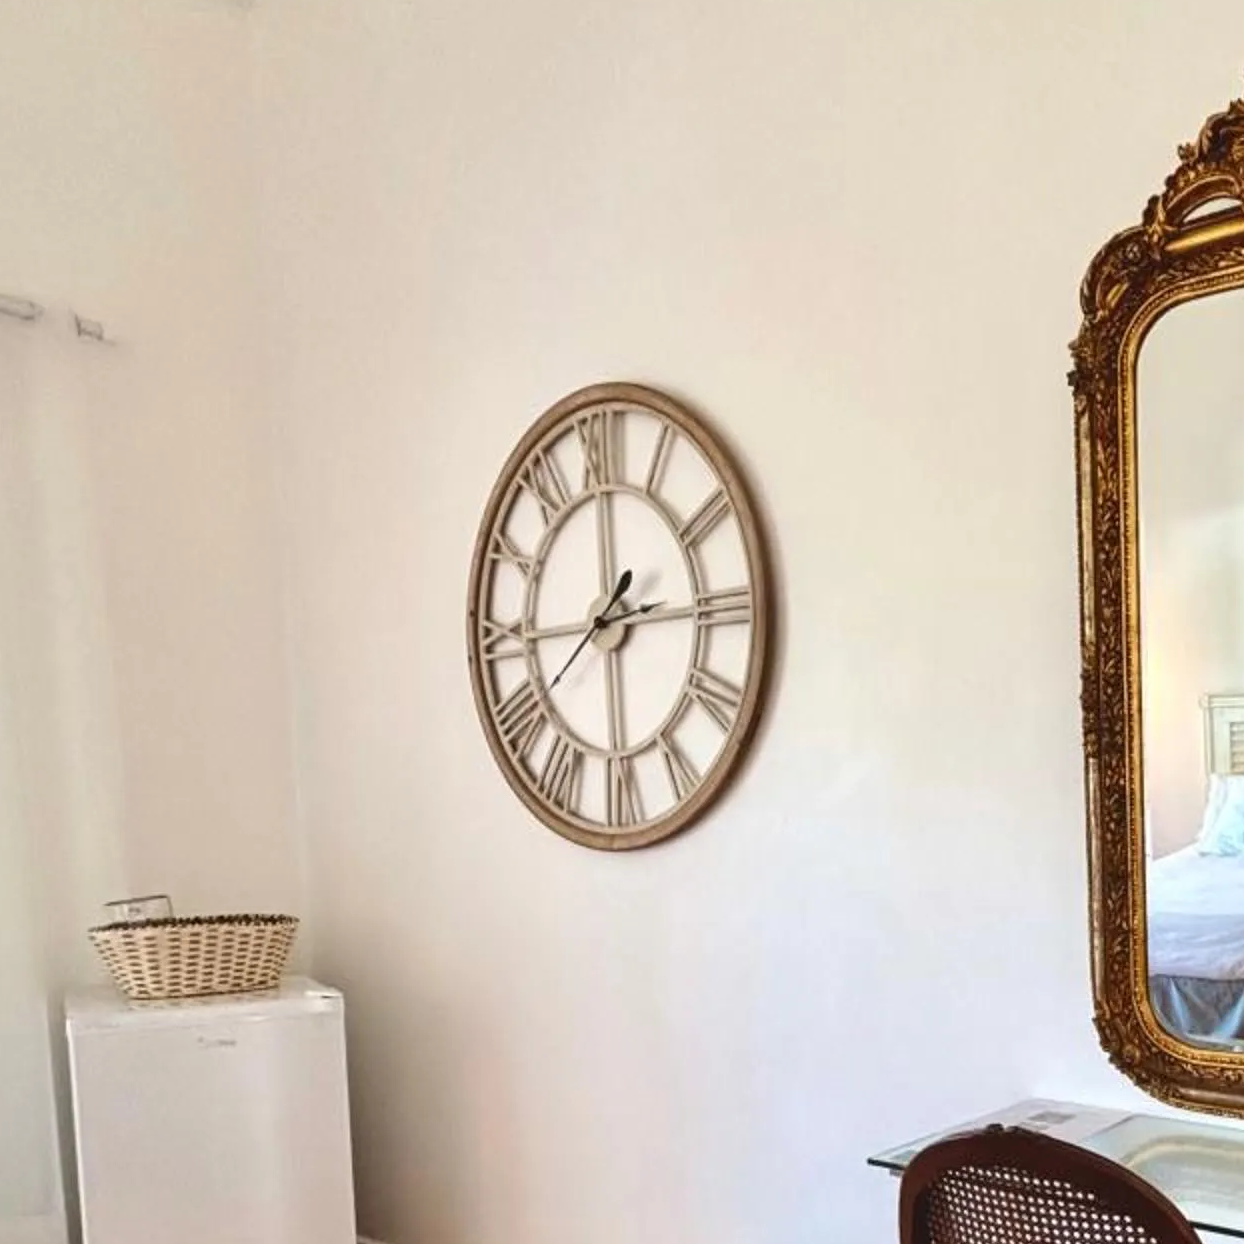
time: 1:14
